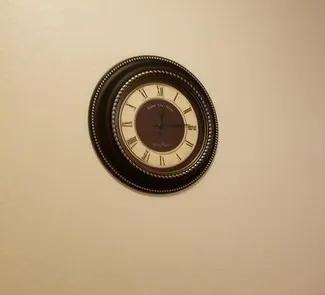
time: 12:14
